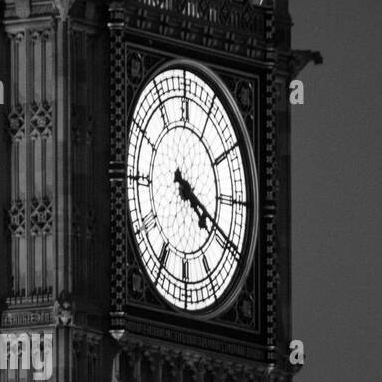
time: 4:19
